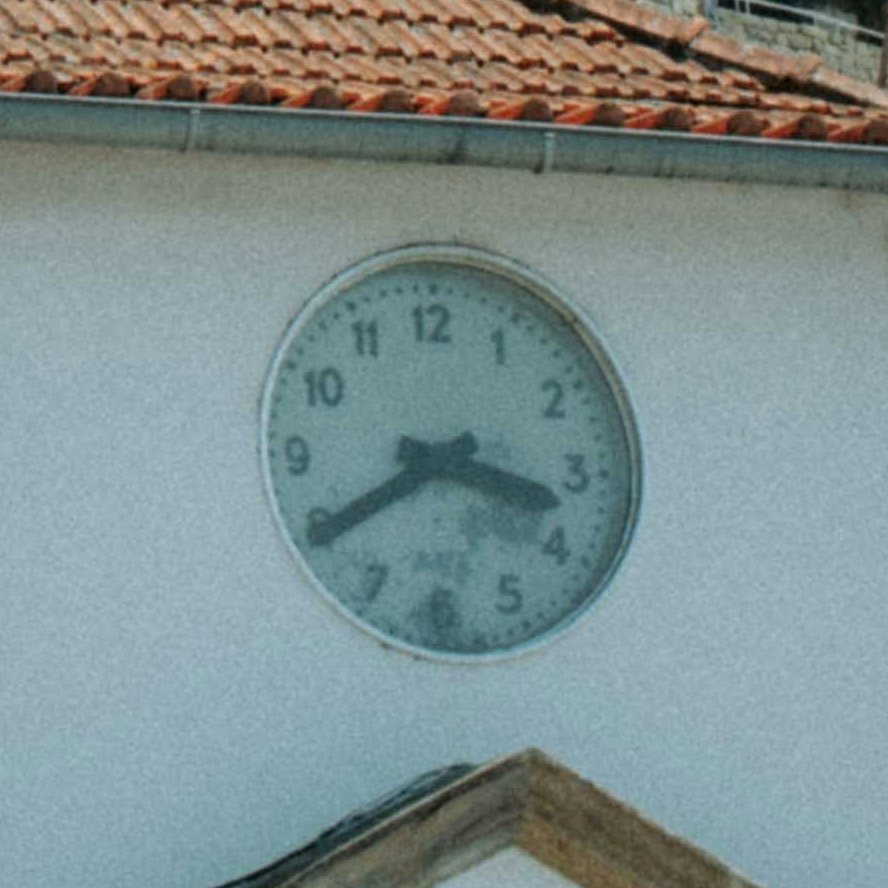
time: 3:39
